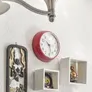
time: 10:28
